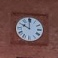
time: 9:59
